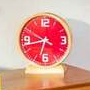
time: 6:42
